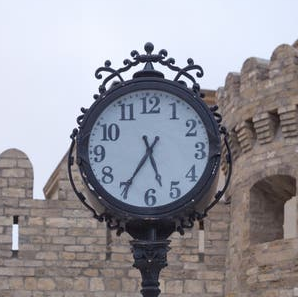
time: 5:35
